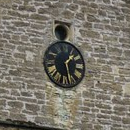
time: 1:28
